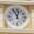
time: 11:02
